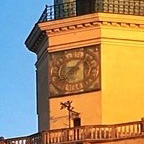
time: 8:07
